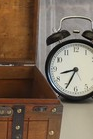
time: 8:34
